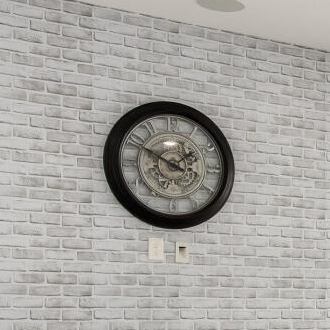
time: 1:49
